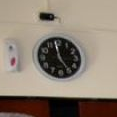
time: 4:58
